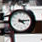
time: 4:14
